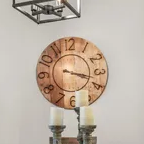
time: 3:18
